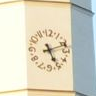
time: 5:11
